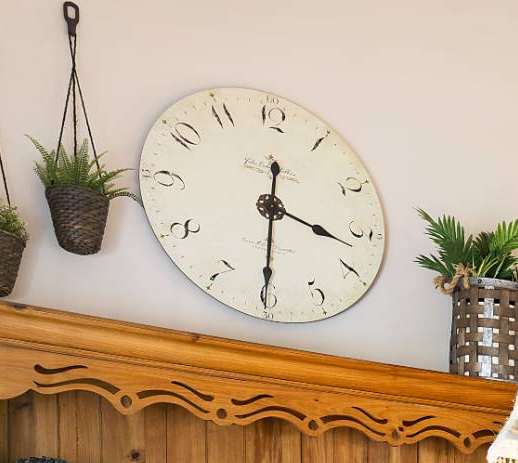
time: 3:30
